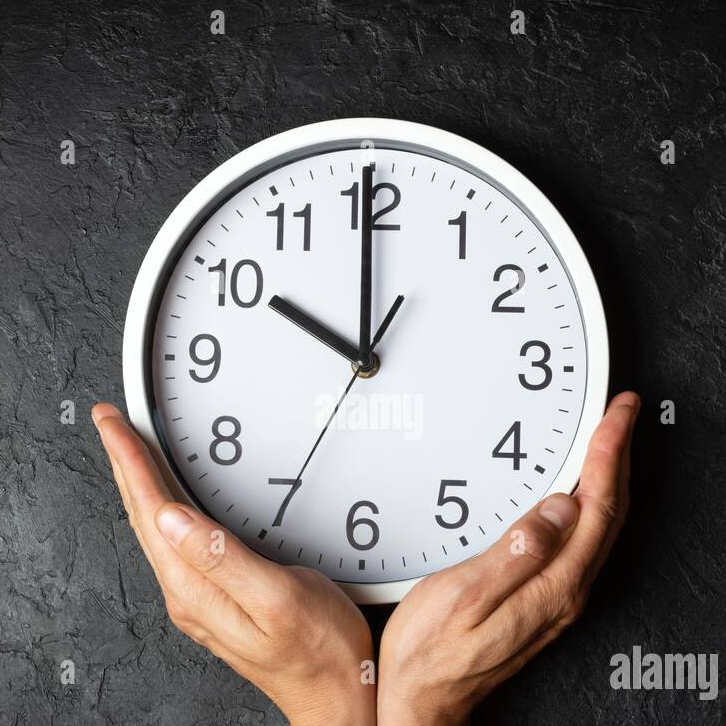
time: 9:59
